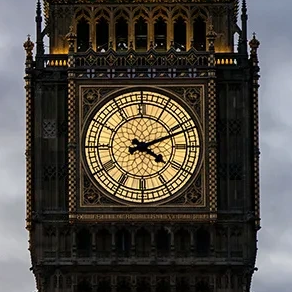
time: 4:11
